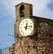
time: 12:14
